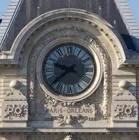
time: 9:38
